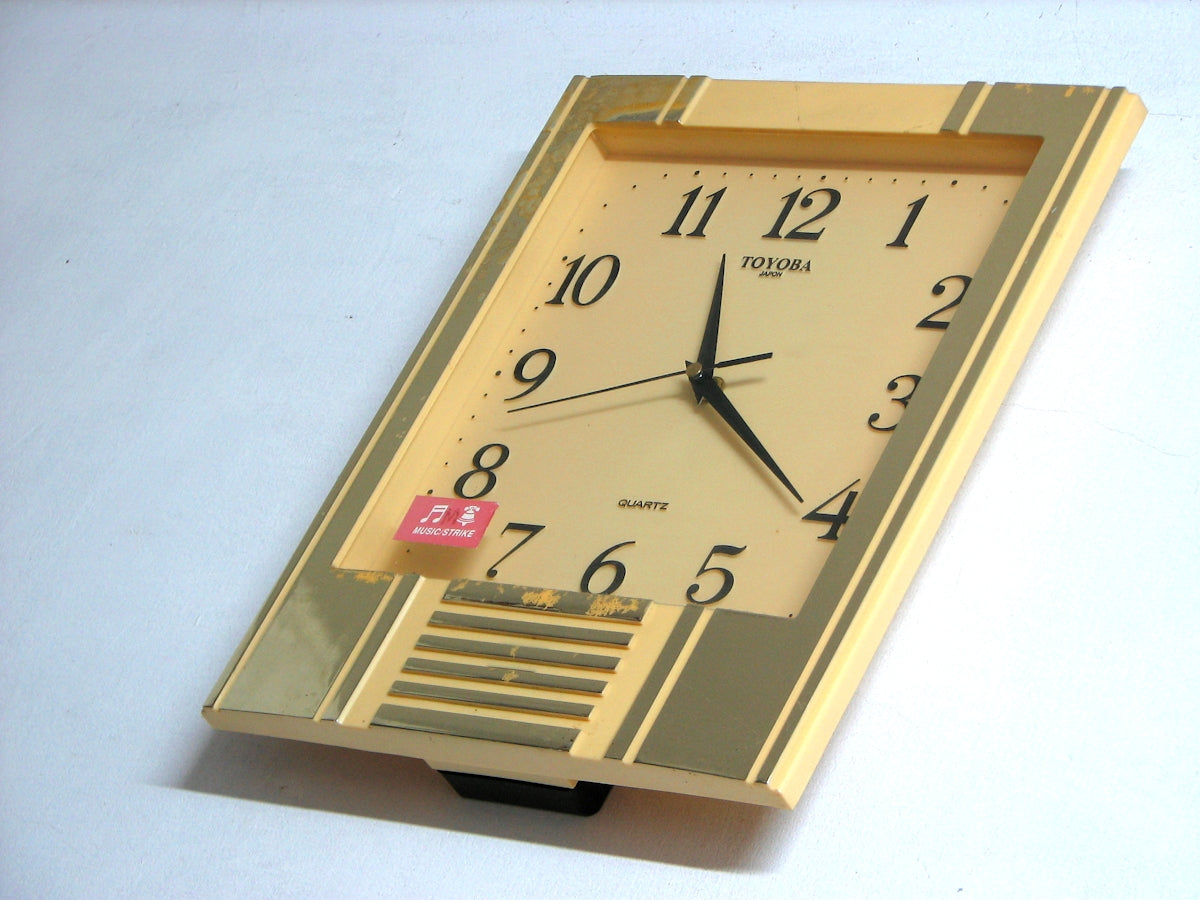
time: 11:20
